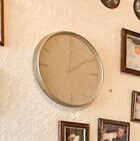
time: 12:09
